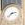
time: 2:38
